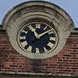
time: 11:08
